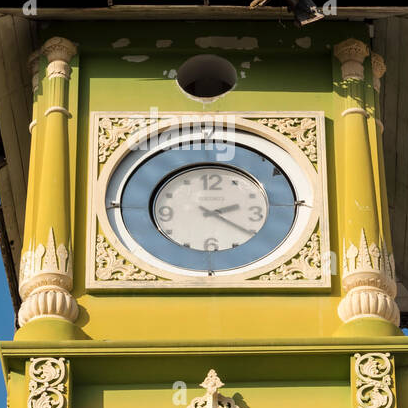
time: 2:21
